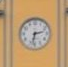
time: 2:32
